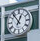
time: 12:53
